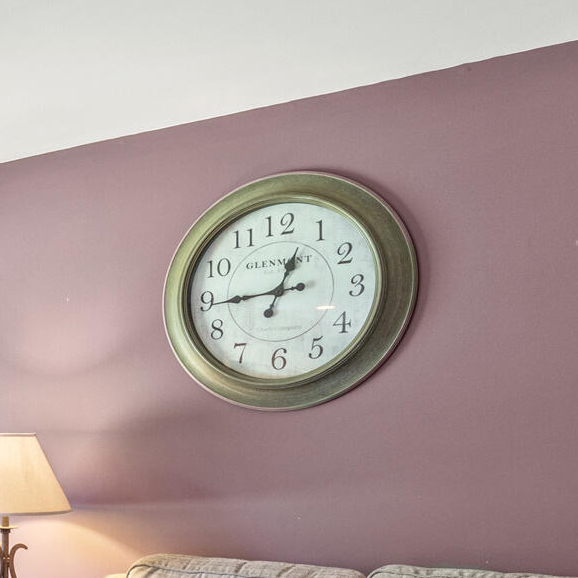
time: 12:44
